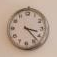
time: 3:22
